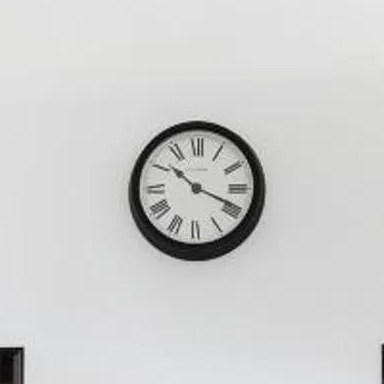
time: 10:18
